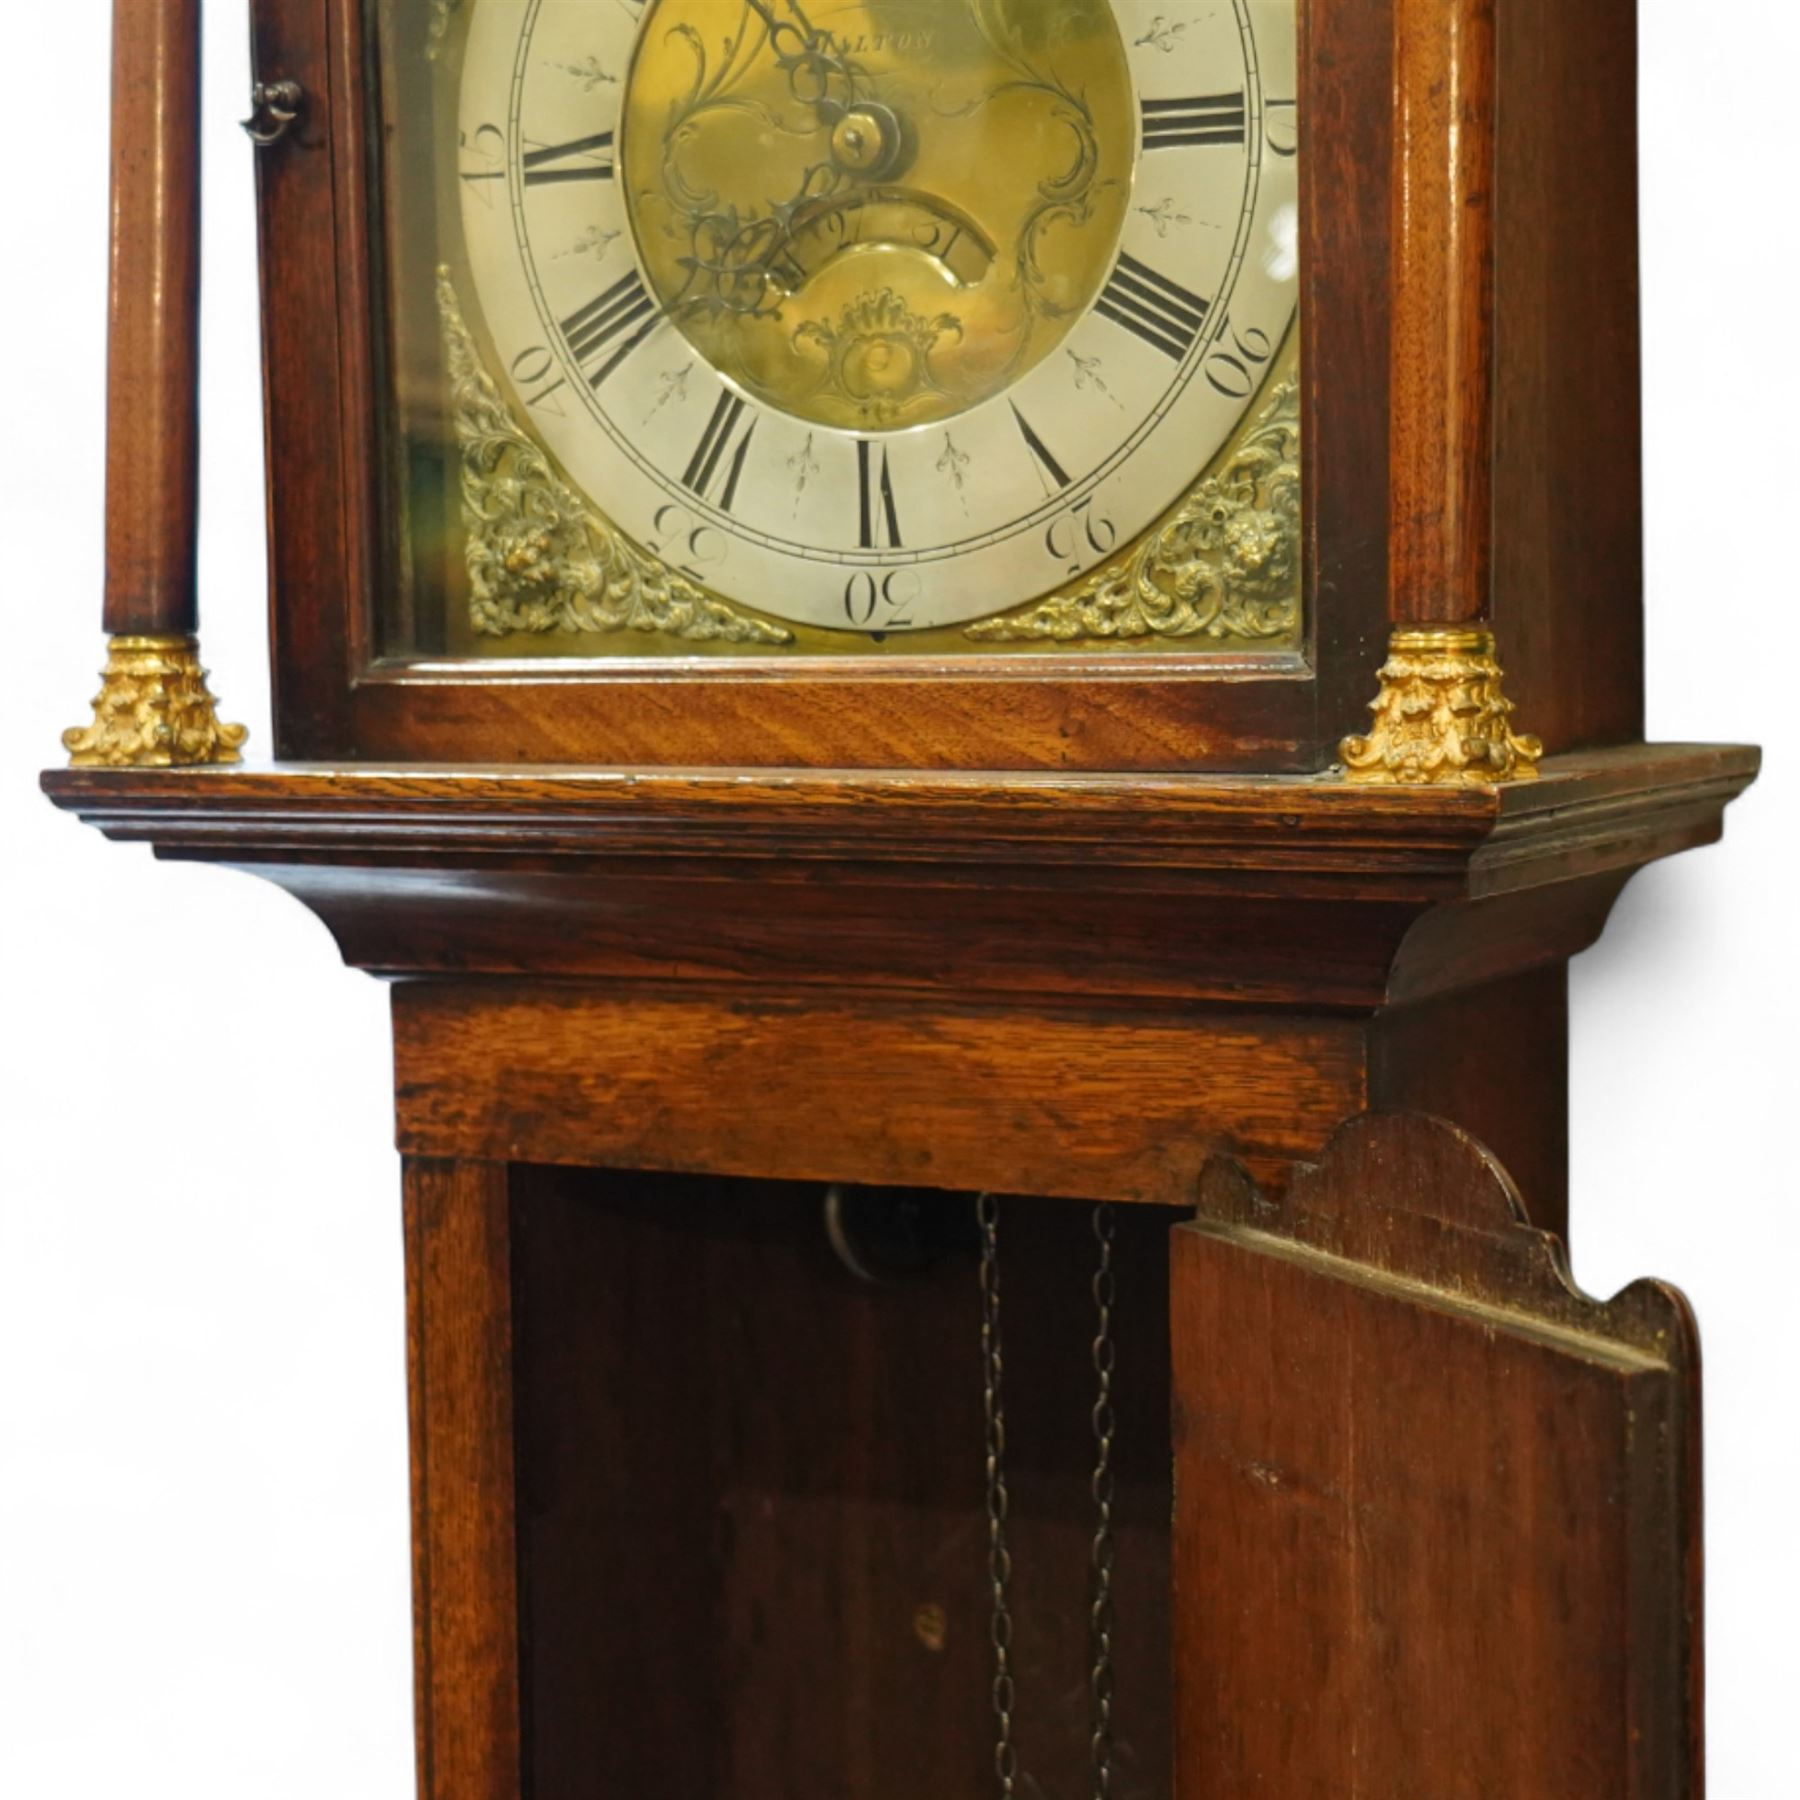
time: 7:40
